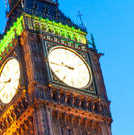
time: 9:45
